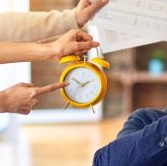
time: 1:50
